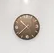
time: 10:37
